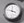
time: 3:47
